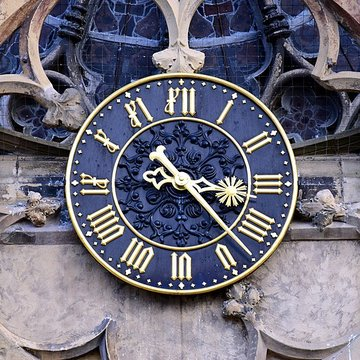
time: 3:22
